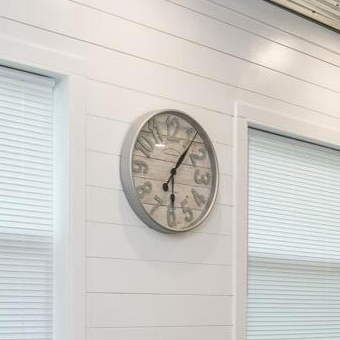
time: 6:06
